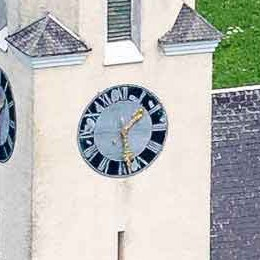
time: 1:28
